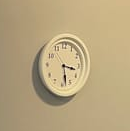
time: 3:28
